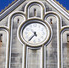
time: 4:35
